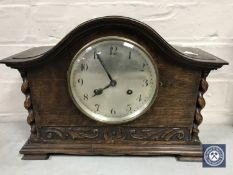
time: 7:55
